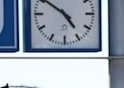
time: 4:50
